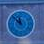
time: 11:52
